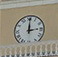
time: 3:00
